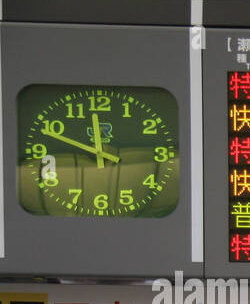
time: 11:48
